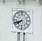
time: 7:41
